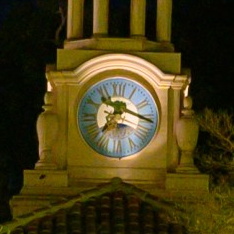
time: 7:17
